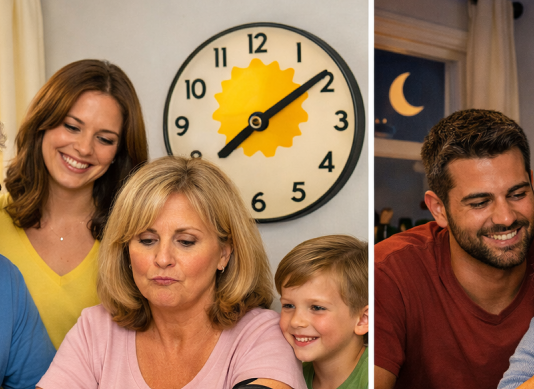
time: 7:09
